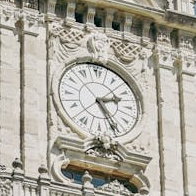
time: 2:25
